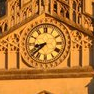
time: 8:38
